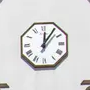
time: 12:05
